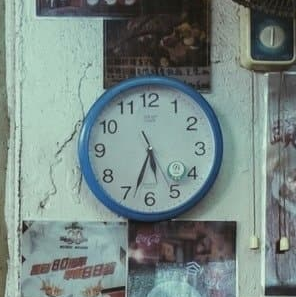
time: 5:33
